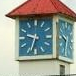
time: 9:33
